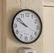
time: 9:51
